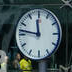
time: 11:46
